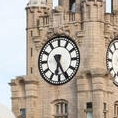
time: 6:25
